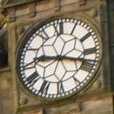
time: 9:17
